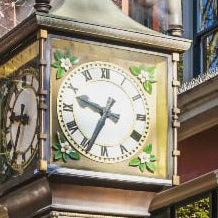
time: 9:34
